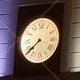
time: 7:38
